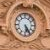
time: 5:24
